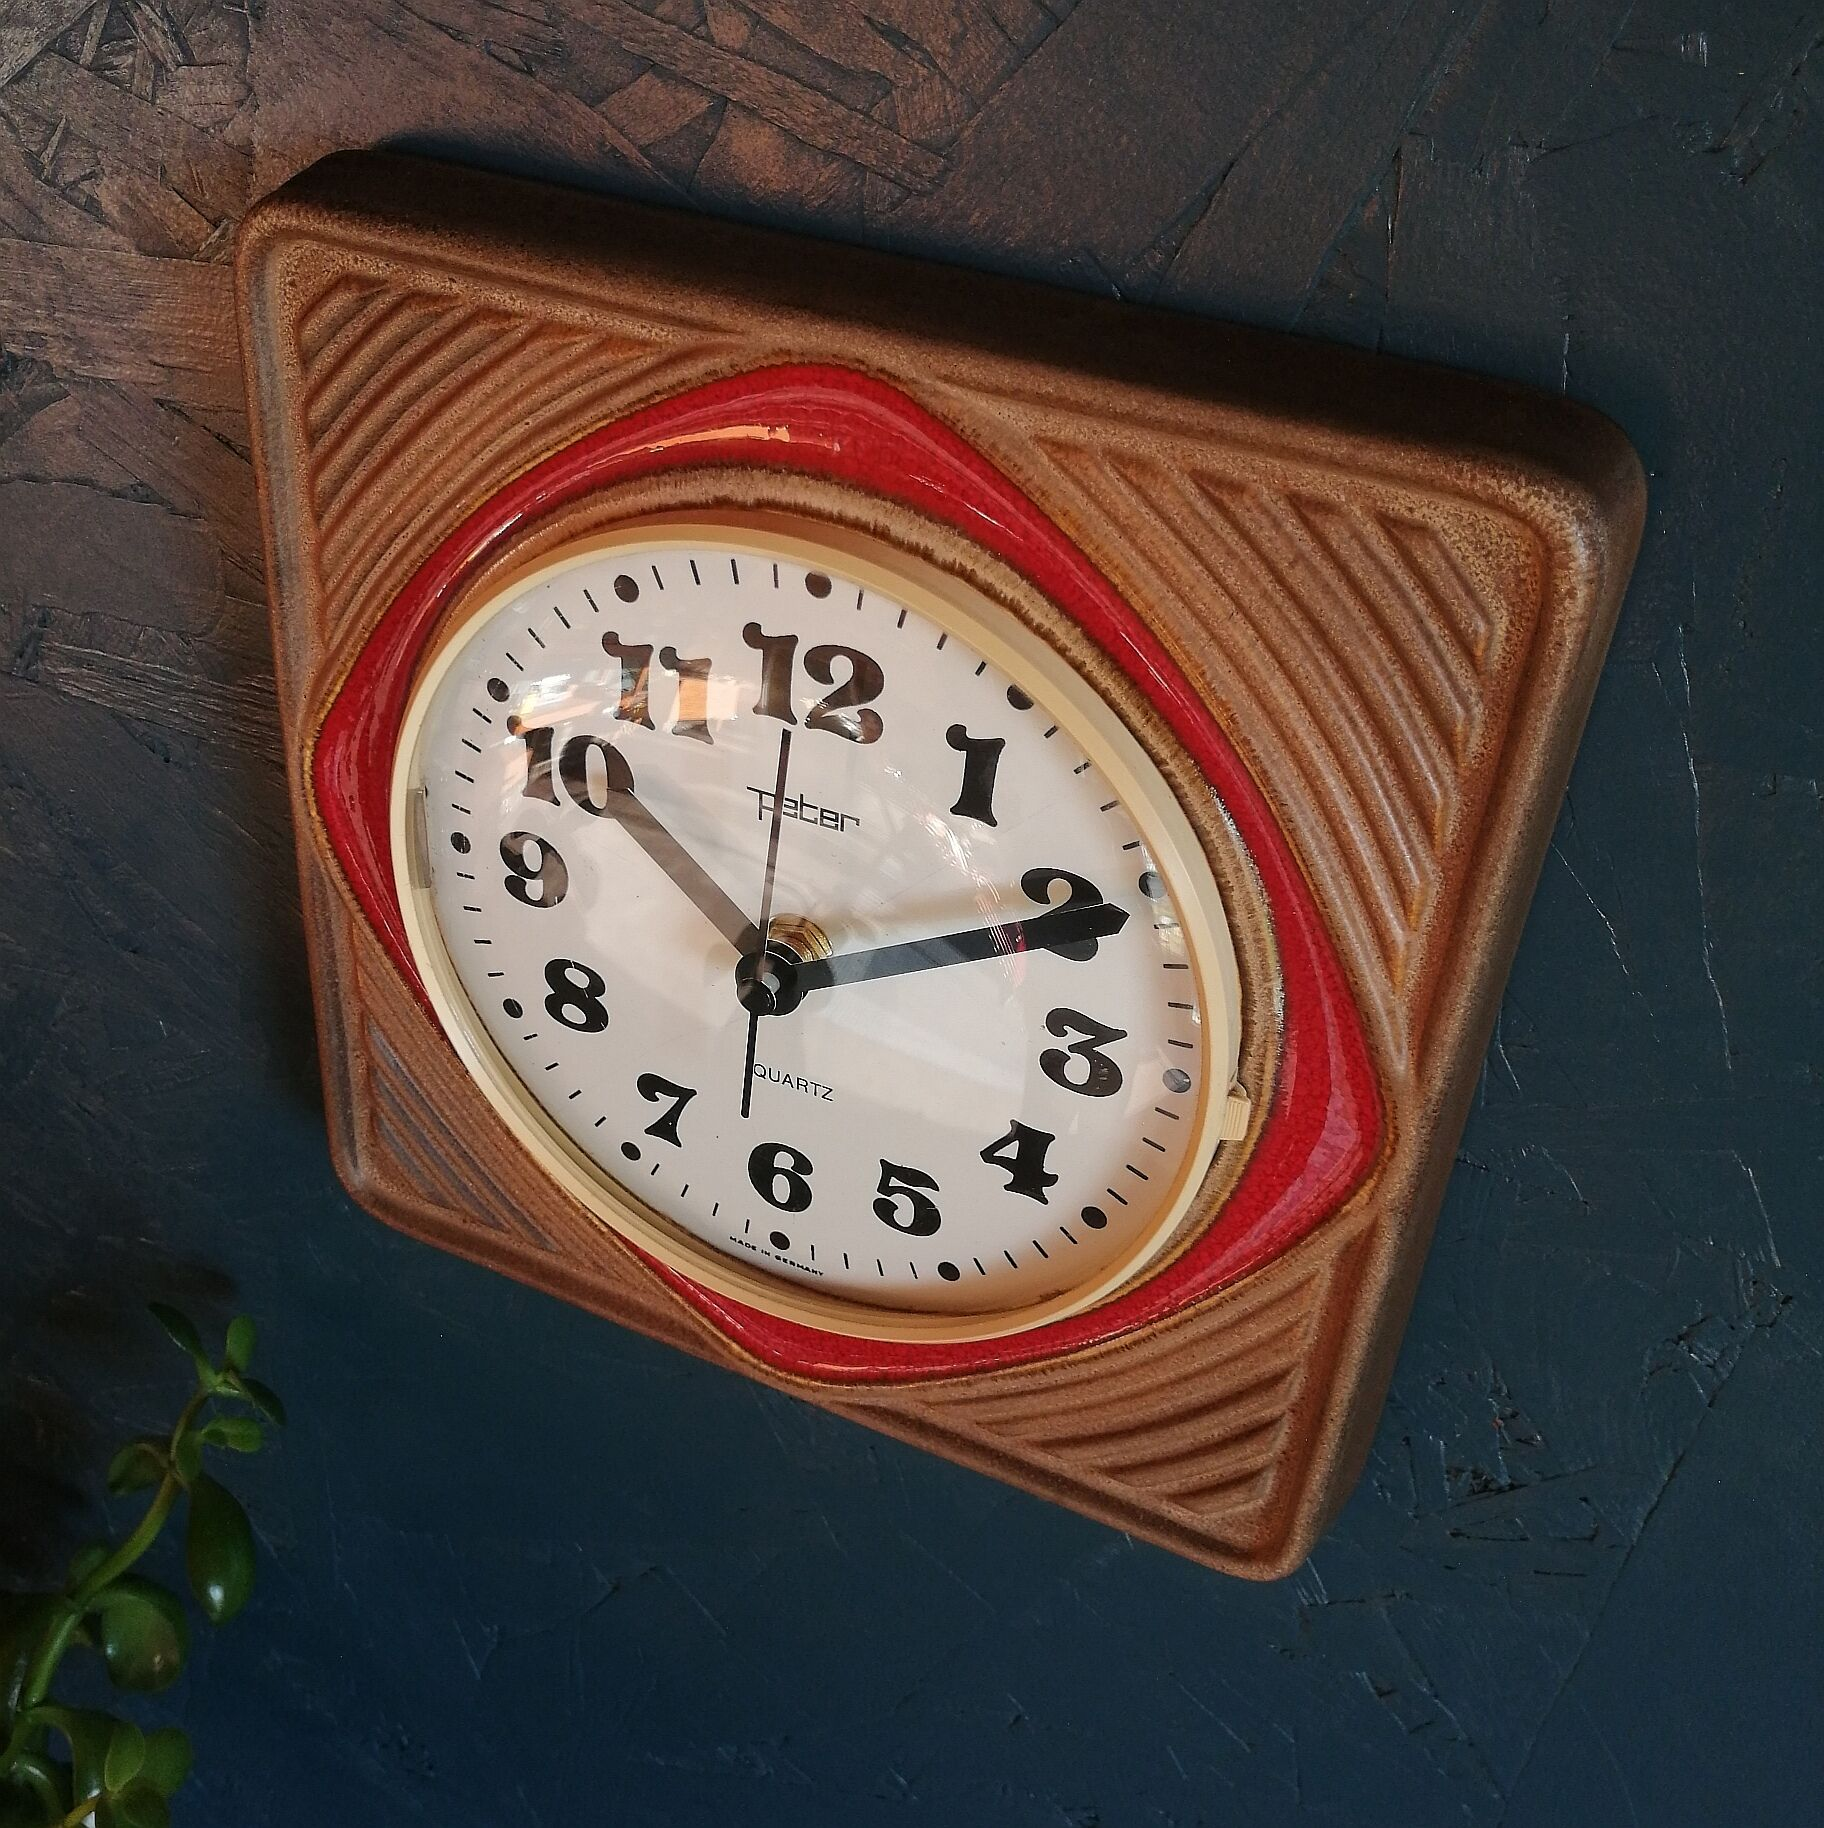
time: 10:10
